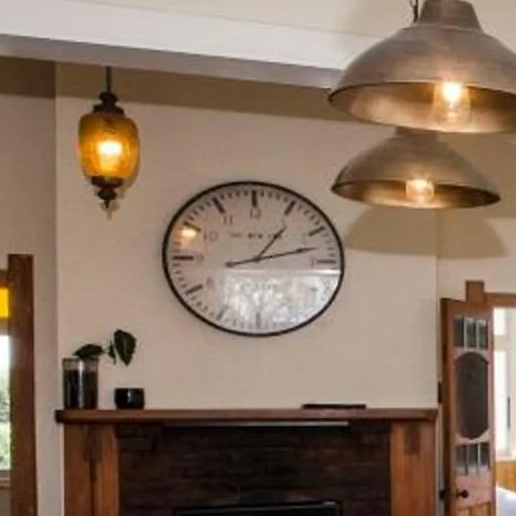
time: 1:12
